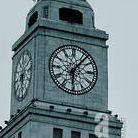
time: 6:06
